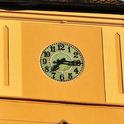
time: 7:15
